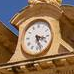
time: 3:26
